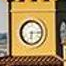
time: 6:14
